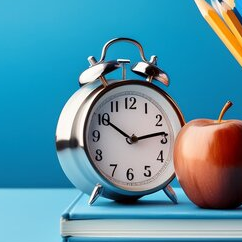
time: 10:13
